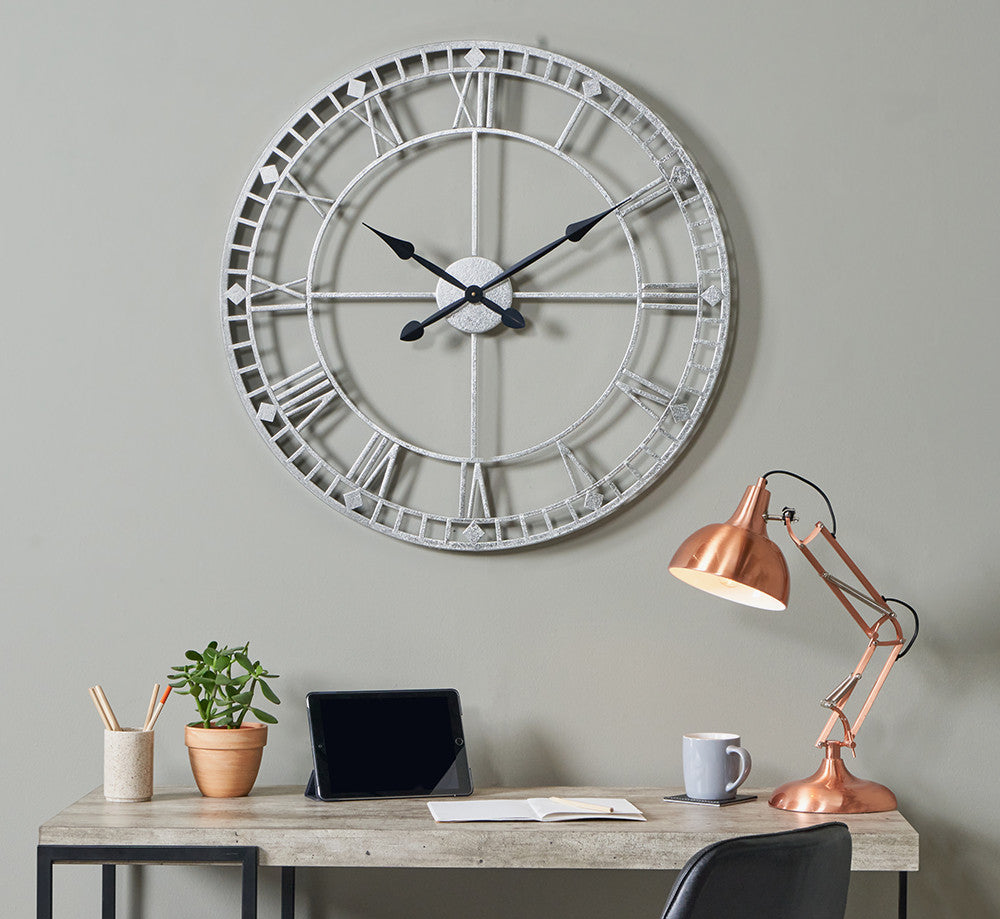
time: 1:50
